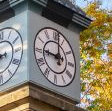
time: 9:01
